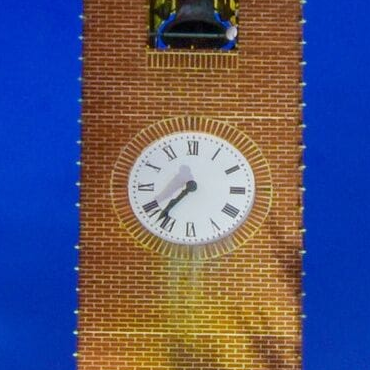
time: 7:36
